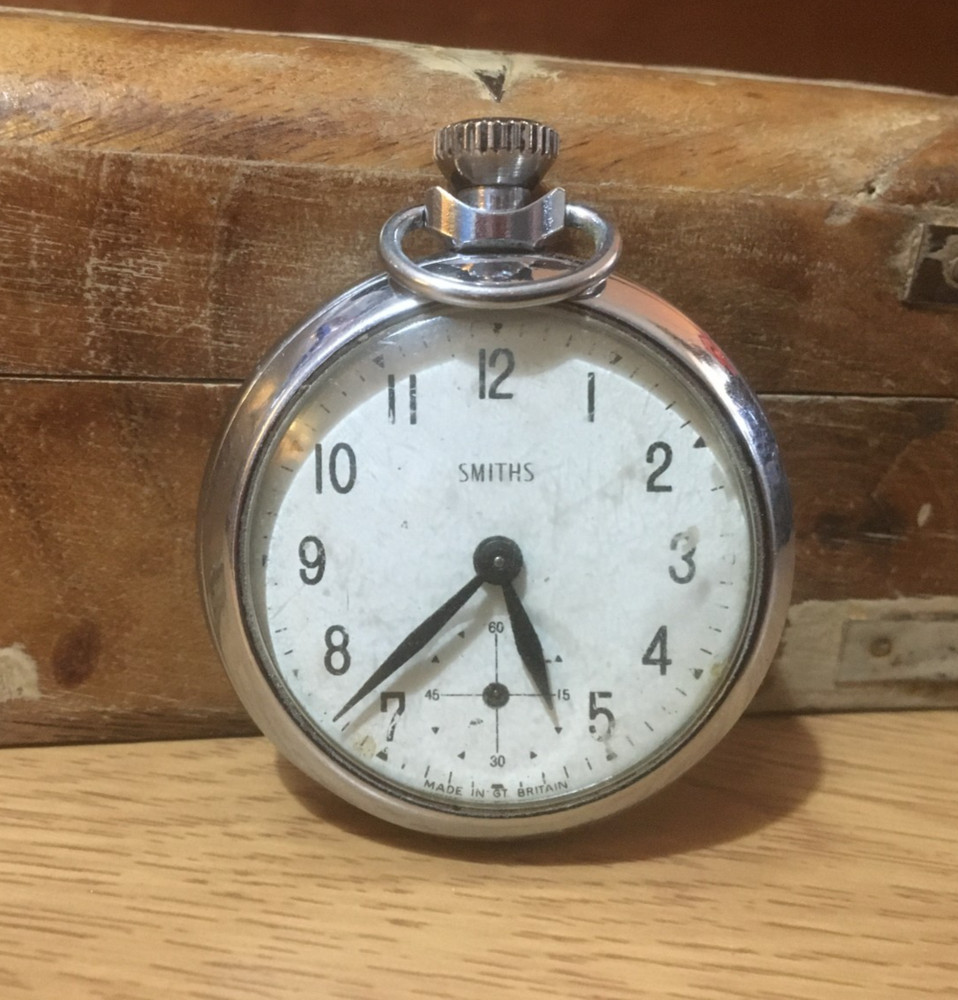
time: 5:37
